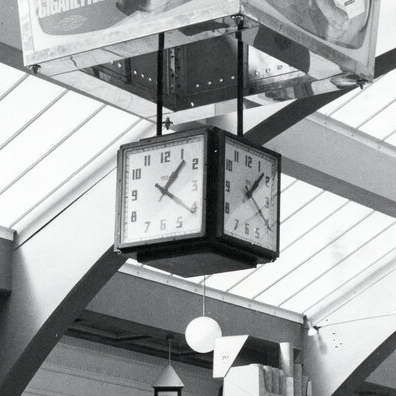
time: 1:20
